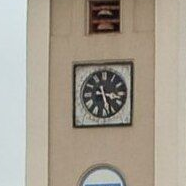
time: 3:27
